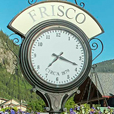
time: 7:18
